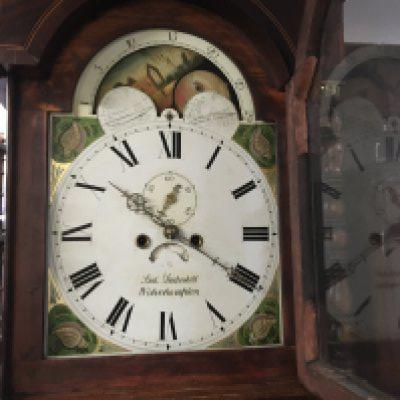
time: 10:20
